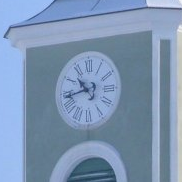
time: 10:42
